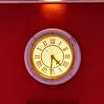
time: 4:30
